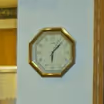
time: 6:07
